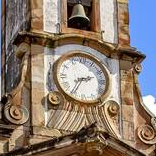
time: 2:35
